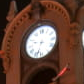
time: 9:33
